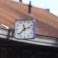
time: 11:37
